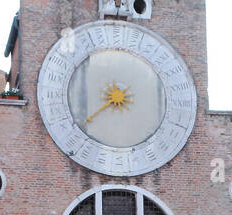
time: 8:38
